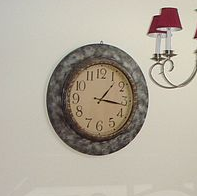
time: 1:16
